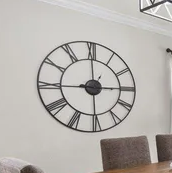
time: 2:59
